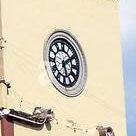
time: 5:09
